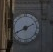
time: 8:11
